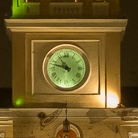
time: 10:47
